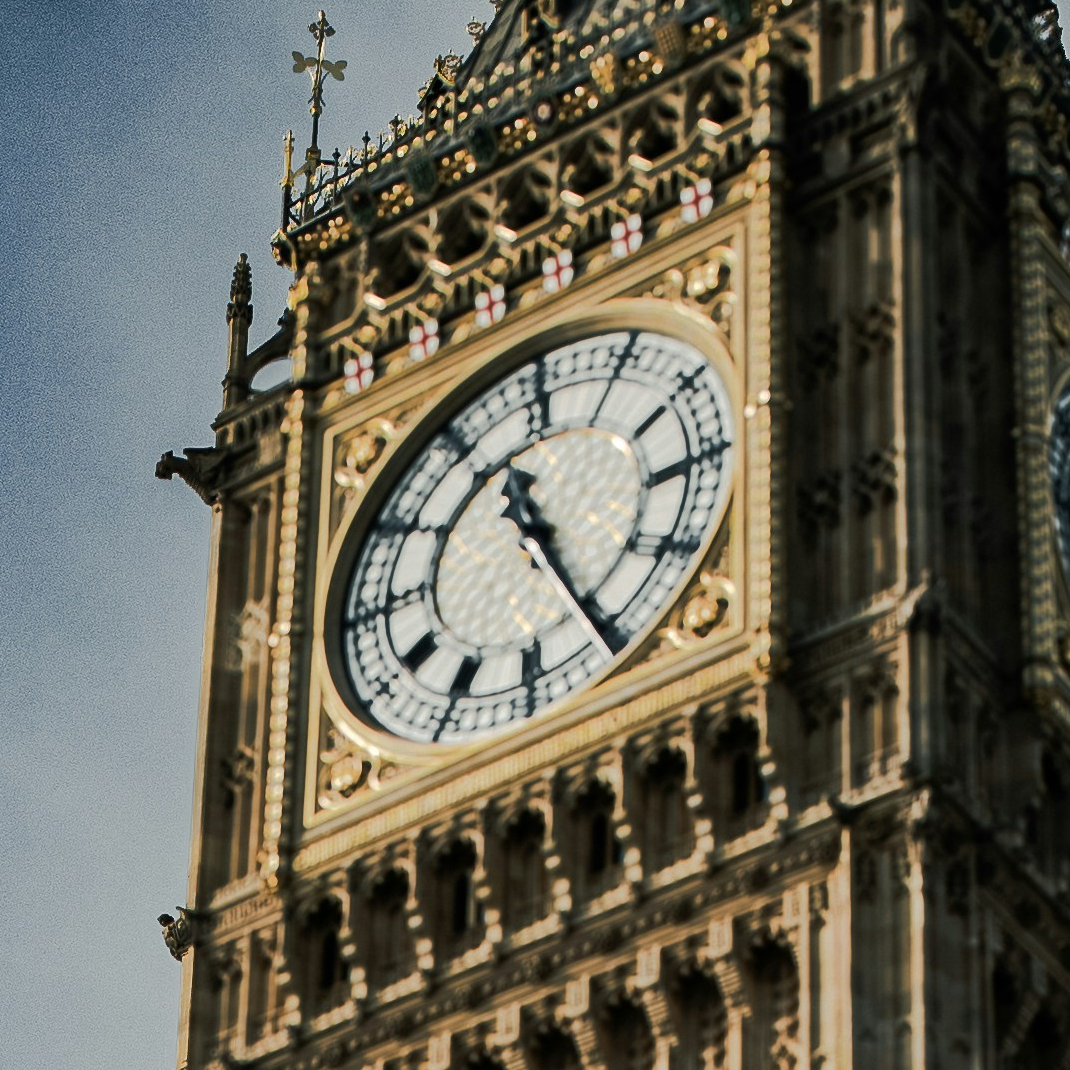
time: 11:25
